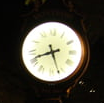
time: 8:26
